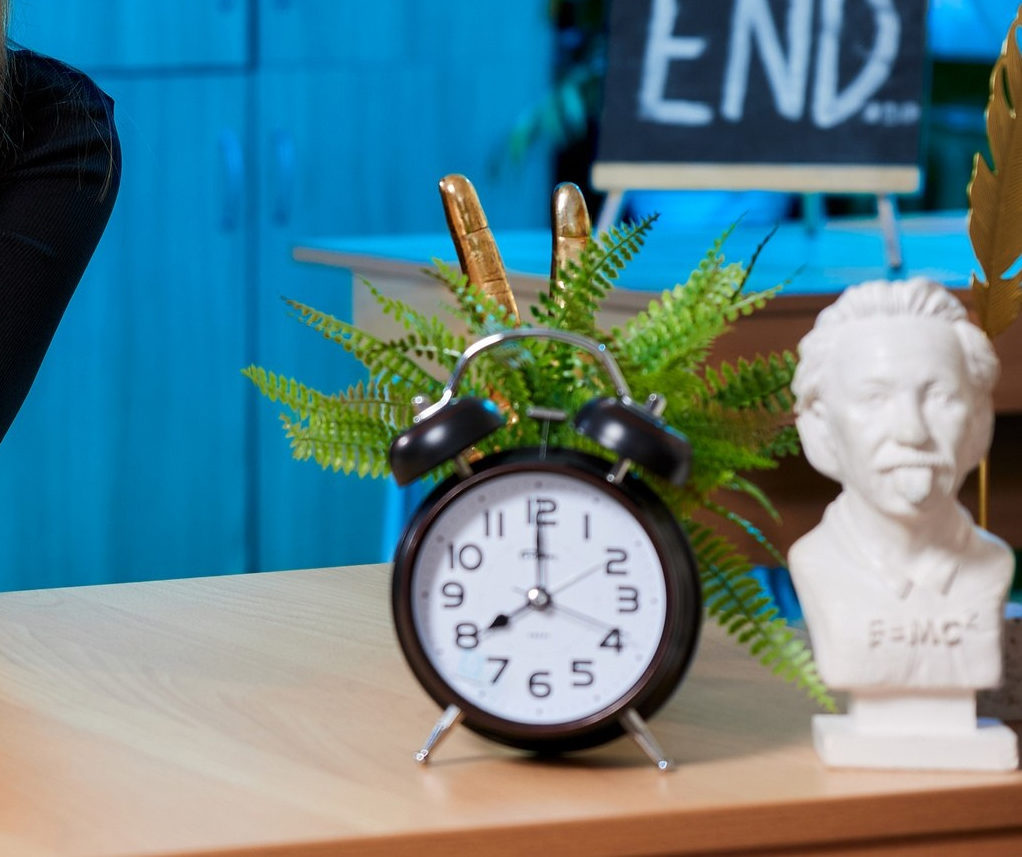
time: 8:00
